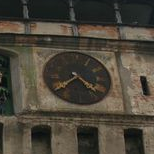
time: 4:38
